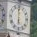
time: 5:59
